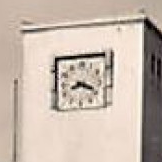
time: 8:18
